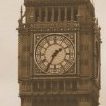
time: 1:34
